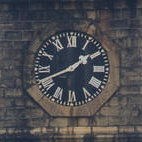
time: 1:41
